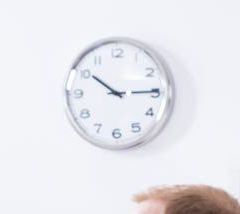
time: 10:14
